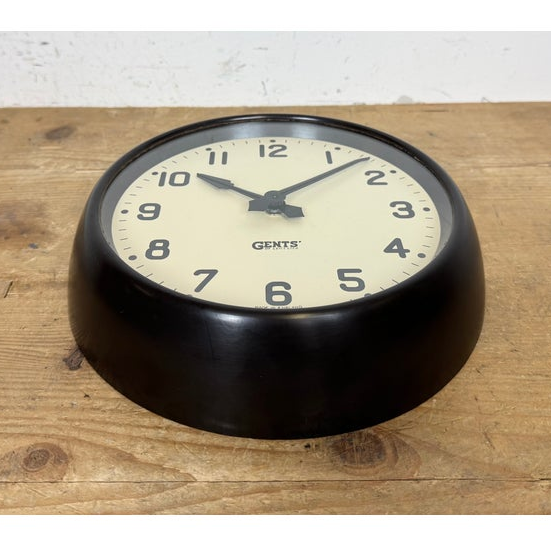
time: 10:08
